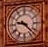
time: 9:22
